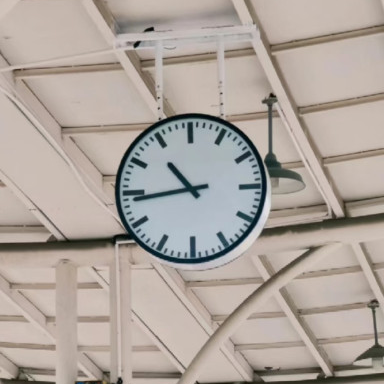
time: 10:43
